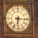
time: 6:15
